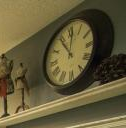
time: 11:01
